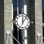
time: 12:07
